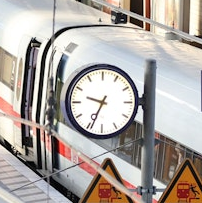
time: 9:34
